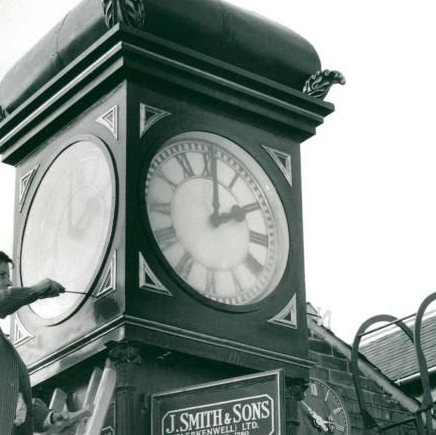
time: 2:00
